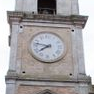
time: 7:47
